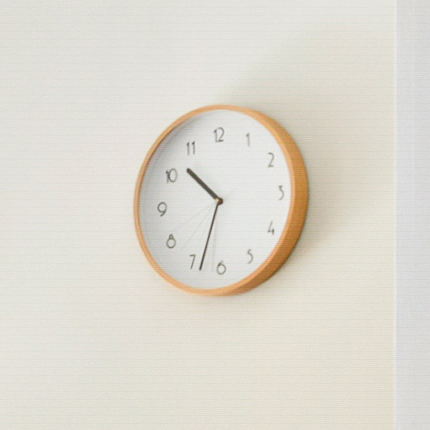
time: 10:33
